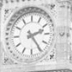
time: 2:24
